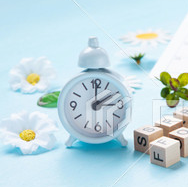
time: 2:00
